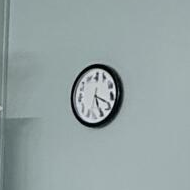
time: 5:18
